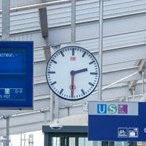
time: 2:29
